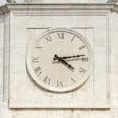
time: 4:13
